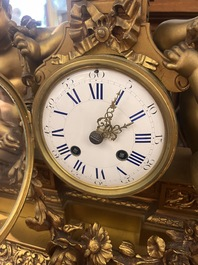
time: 2:04
